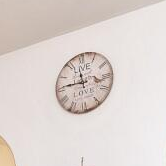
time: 11:45
